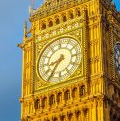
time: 8:36
